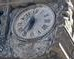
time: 6:36
